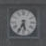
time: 5:34
